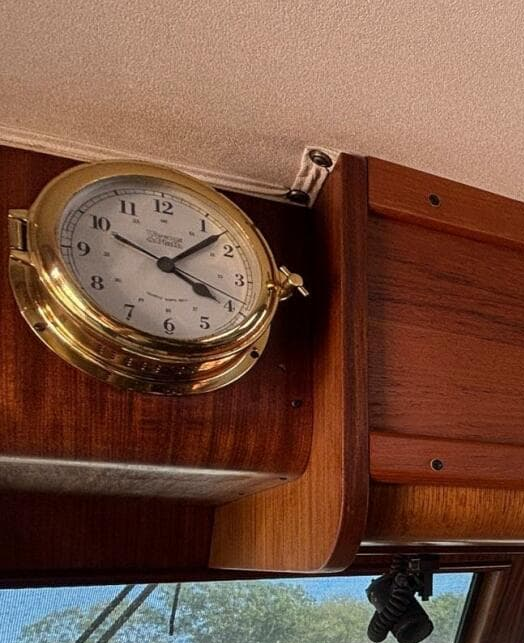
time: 4:07
